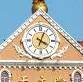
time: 4:03
